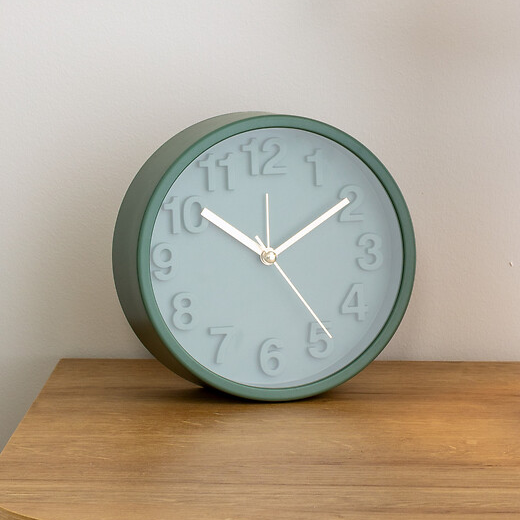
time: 10:09
